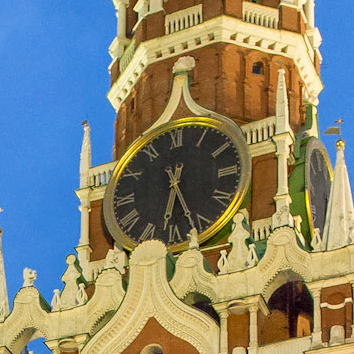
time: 6:26
